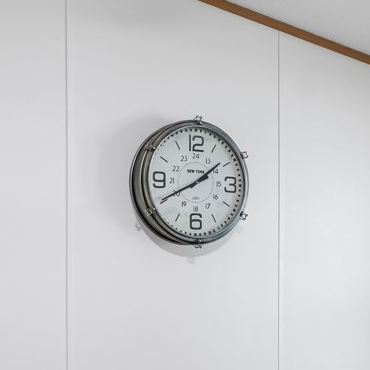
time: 1:40
